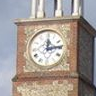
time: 12:13
